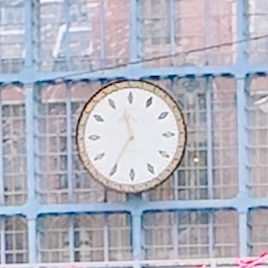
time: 11:35
